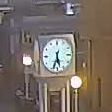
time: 5:33
